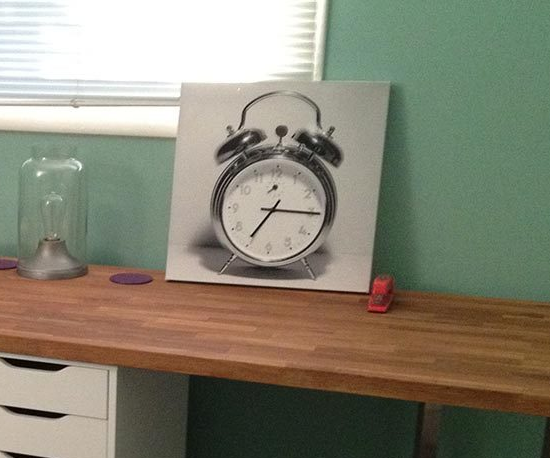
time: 7:15
